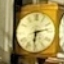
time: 6:13
